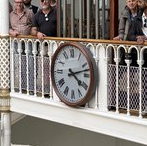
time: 4:12
